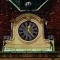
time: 12:23
